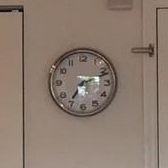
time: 7:11
